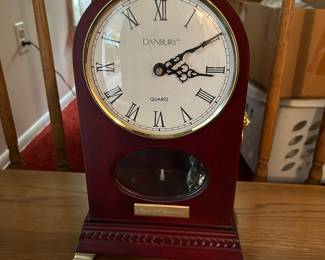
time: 3:09
